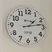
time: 1:13
